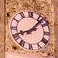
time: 8:07
